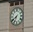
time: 6:39
